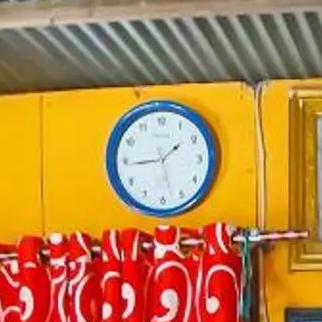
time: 1:44
